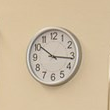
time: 10:16
